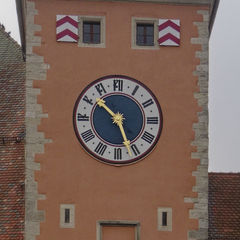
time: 10:26
